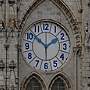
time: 1:51
